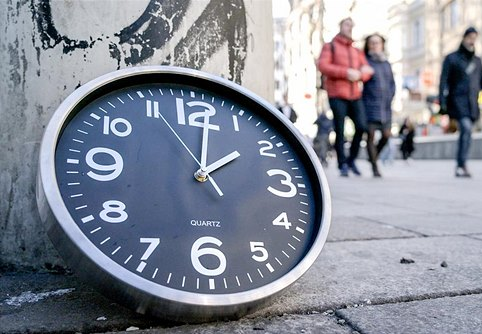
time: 2:01
